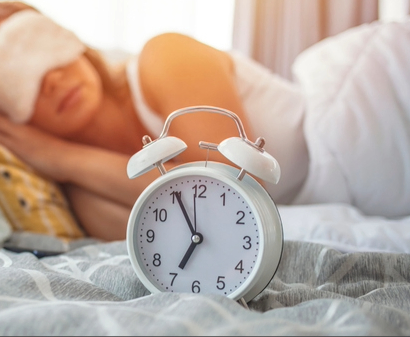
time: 6:55
